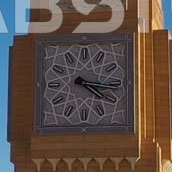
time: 4:16
